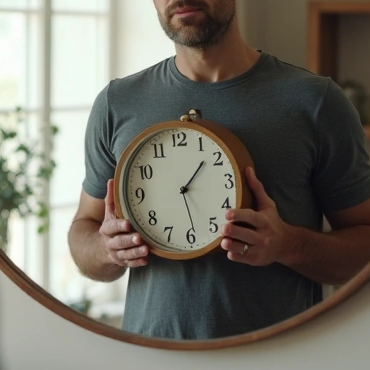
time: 1:28
